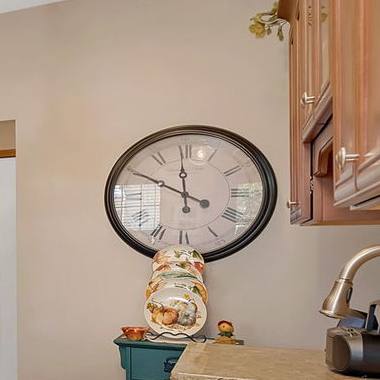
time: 11:49
